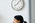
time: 8:07
